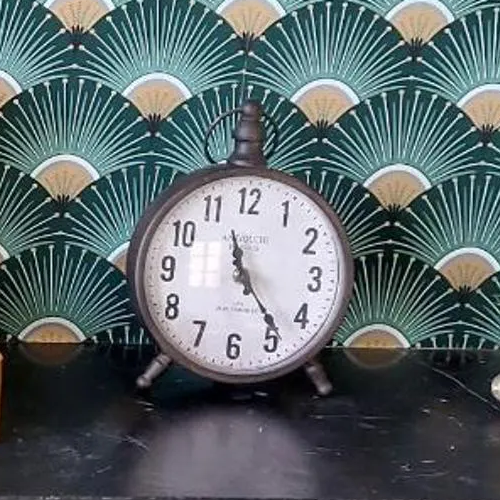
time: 11:23
